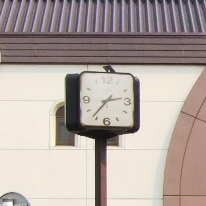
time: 2:36
